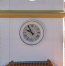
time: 9:54
